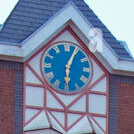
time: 6:04
